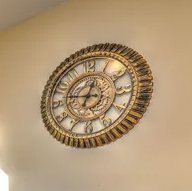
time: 12:47
